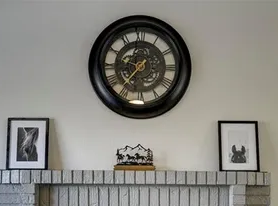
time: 9:36
